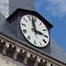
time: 2:58
